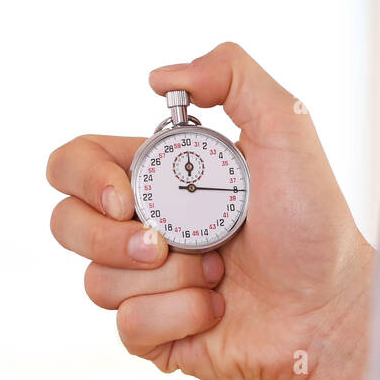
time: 12:15
